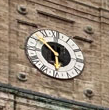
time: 5:51
